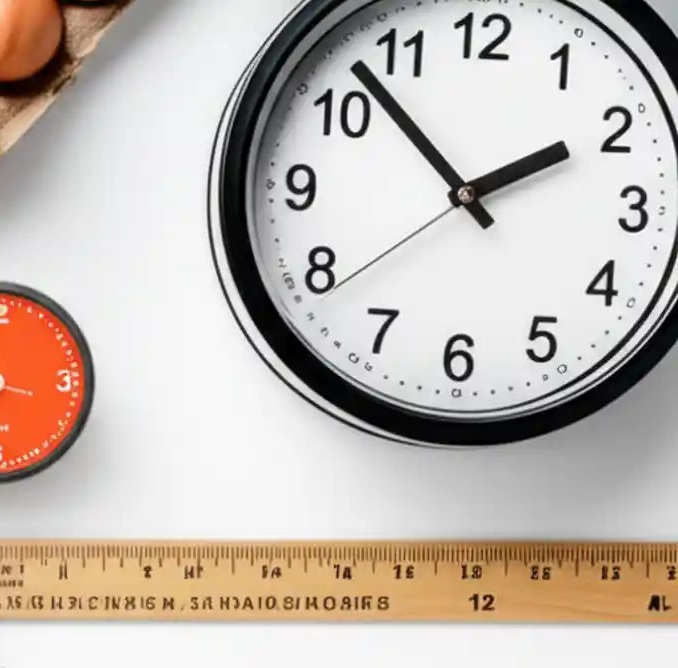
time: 1:52
